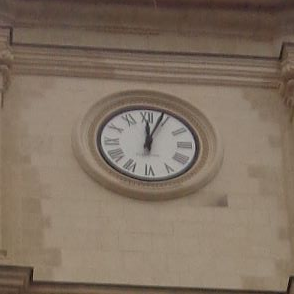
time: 12:03
